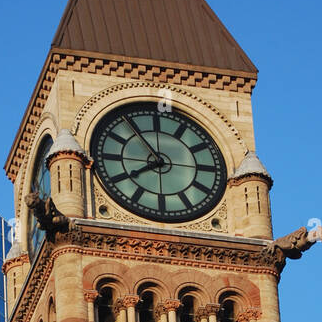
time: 7:53
